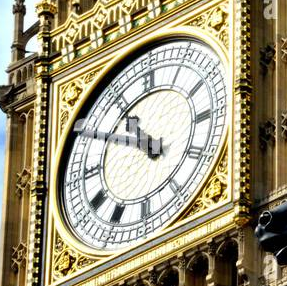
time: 10:49
